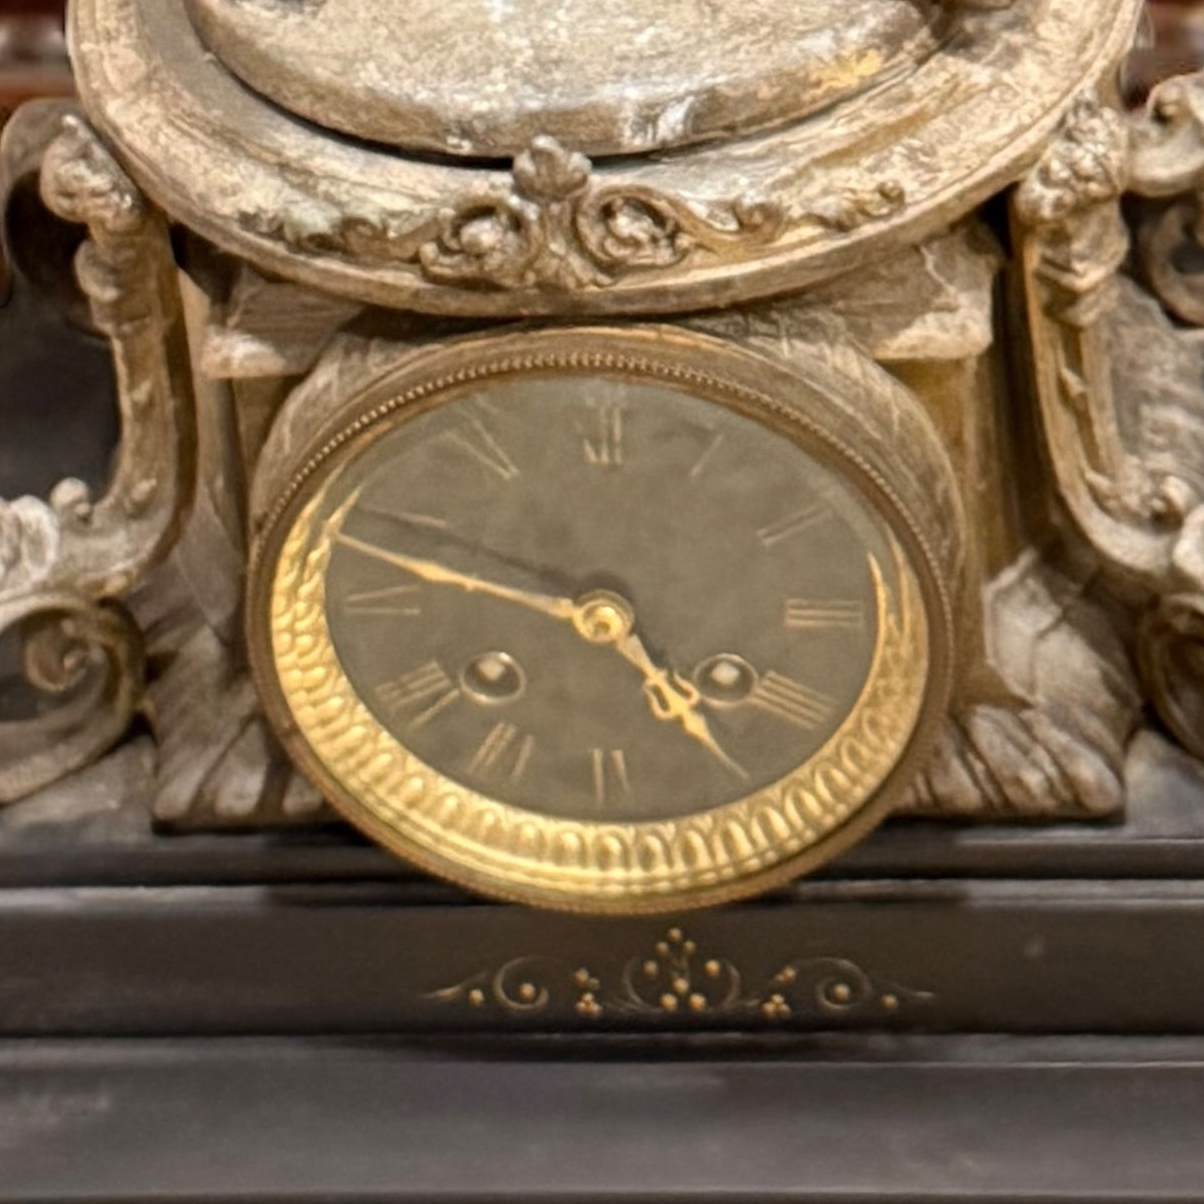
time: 4:47
